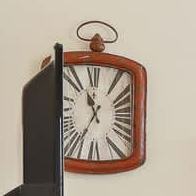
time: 10:34
